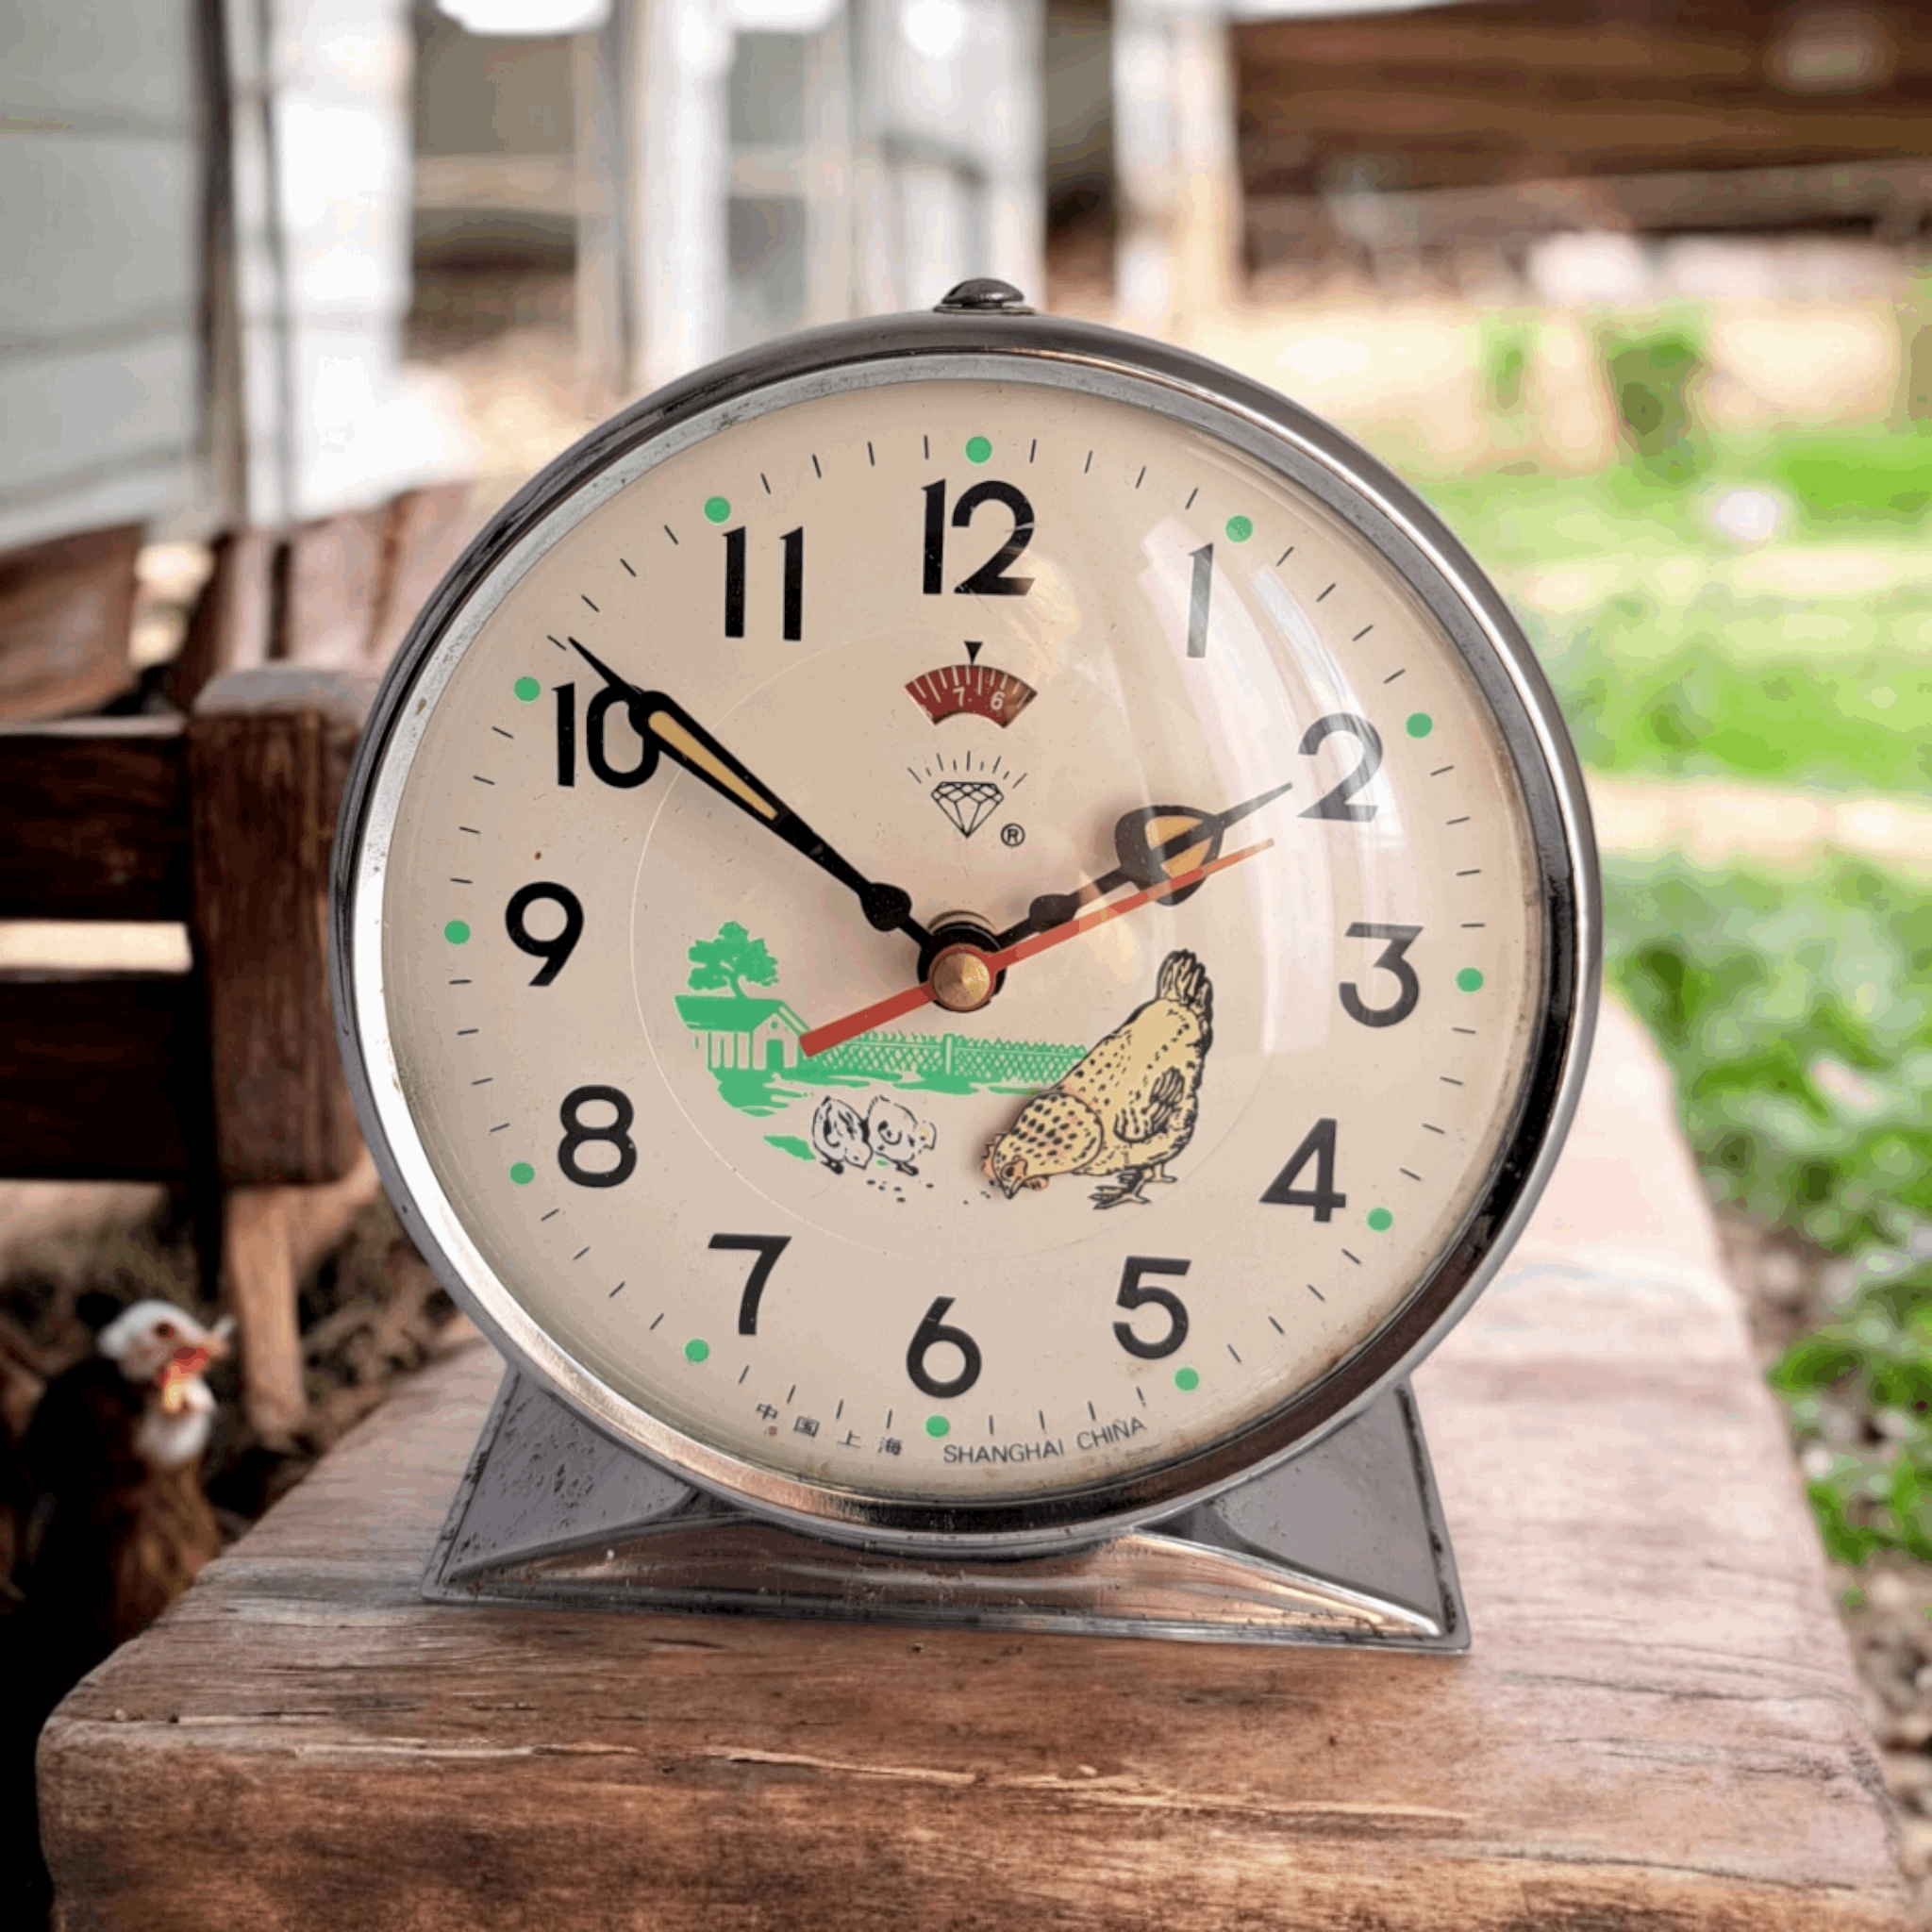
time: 1:51
